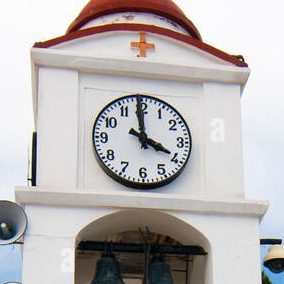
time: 3:58
